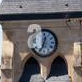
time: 12:34
